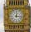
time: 12:16
